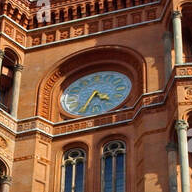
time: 4:34
